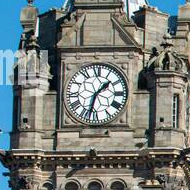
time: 1:32
